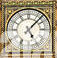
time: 5:07
